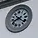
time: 8:21
